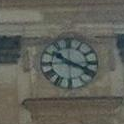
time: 10:19
